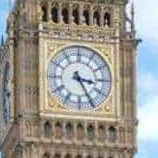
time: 3:25
